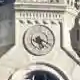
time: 5:18
